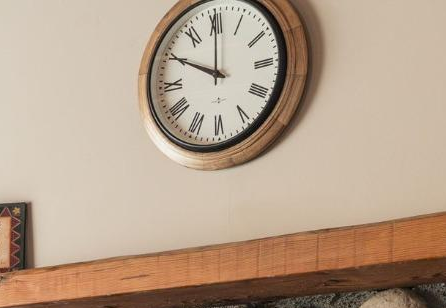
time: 10:00
